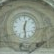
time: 12:28
